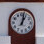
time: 1:02
